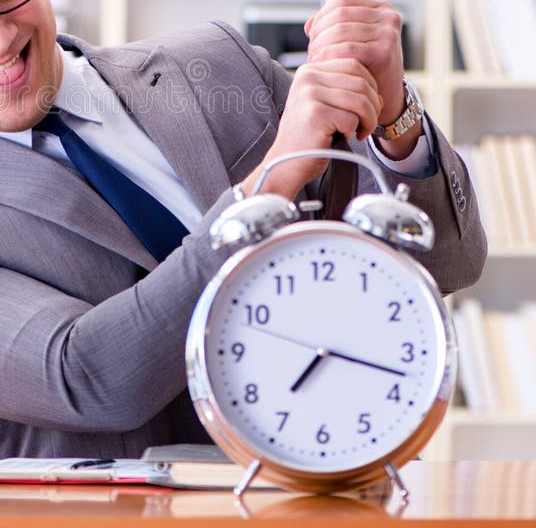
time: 7:17
